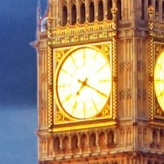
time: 7:19
